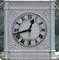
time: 12:42
